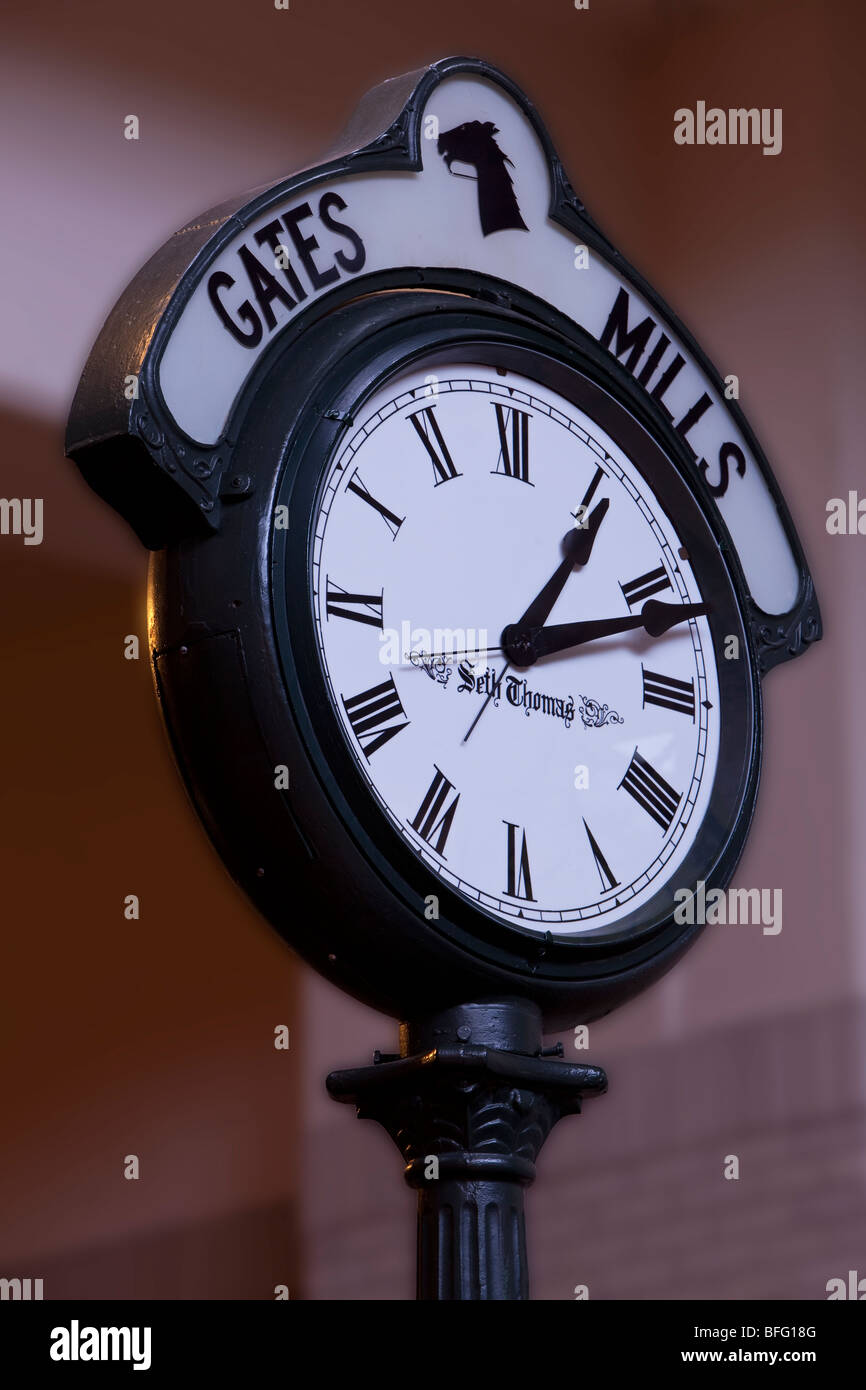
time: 1:11
